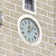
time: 12:07
